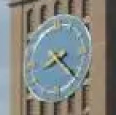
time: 8:21
